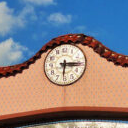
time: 6:15
